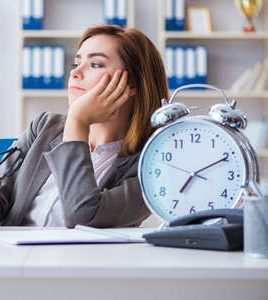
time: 7:10
